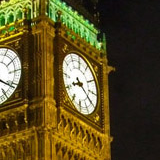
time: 8:20
